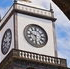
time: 9:31
